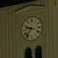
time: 9:36
